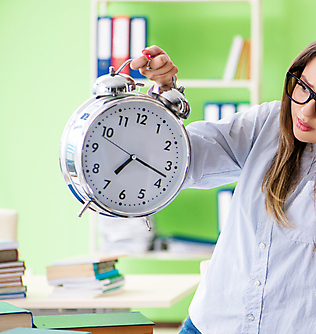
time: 7:17
